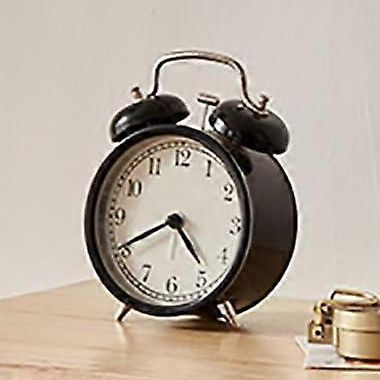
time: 4:40
